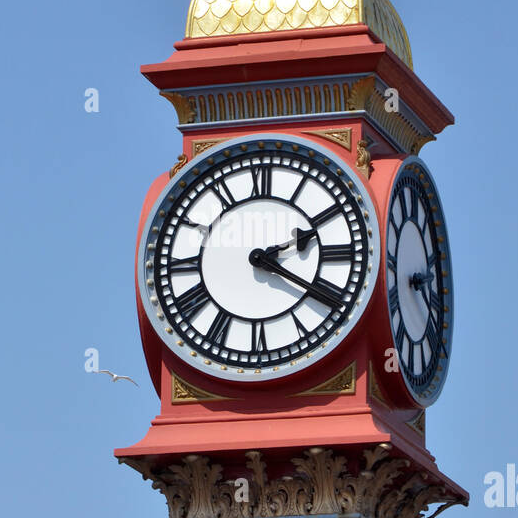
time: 2:20
